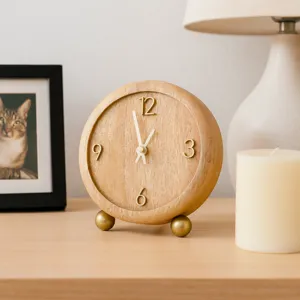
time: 12:57
